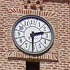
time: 2:30
